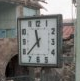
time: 11:37
